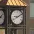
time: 9:09
